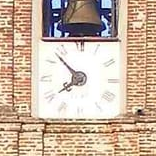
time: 7:52
